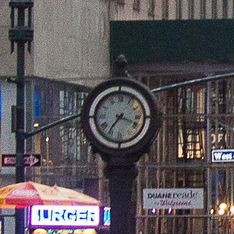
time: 7:18
